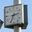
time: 2:34
